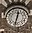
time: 12:32
